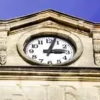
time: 3:02
